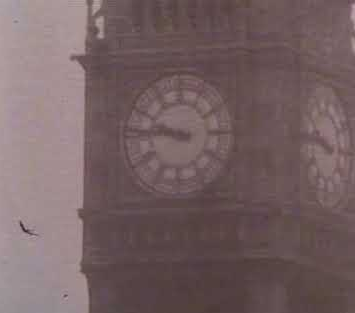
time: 9:45
